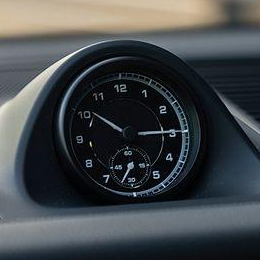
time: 10:15
